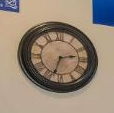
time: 2:33
